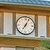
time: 7:04
